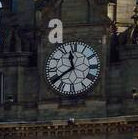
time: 11:39
